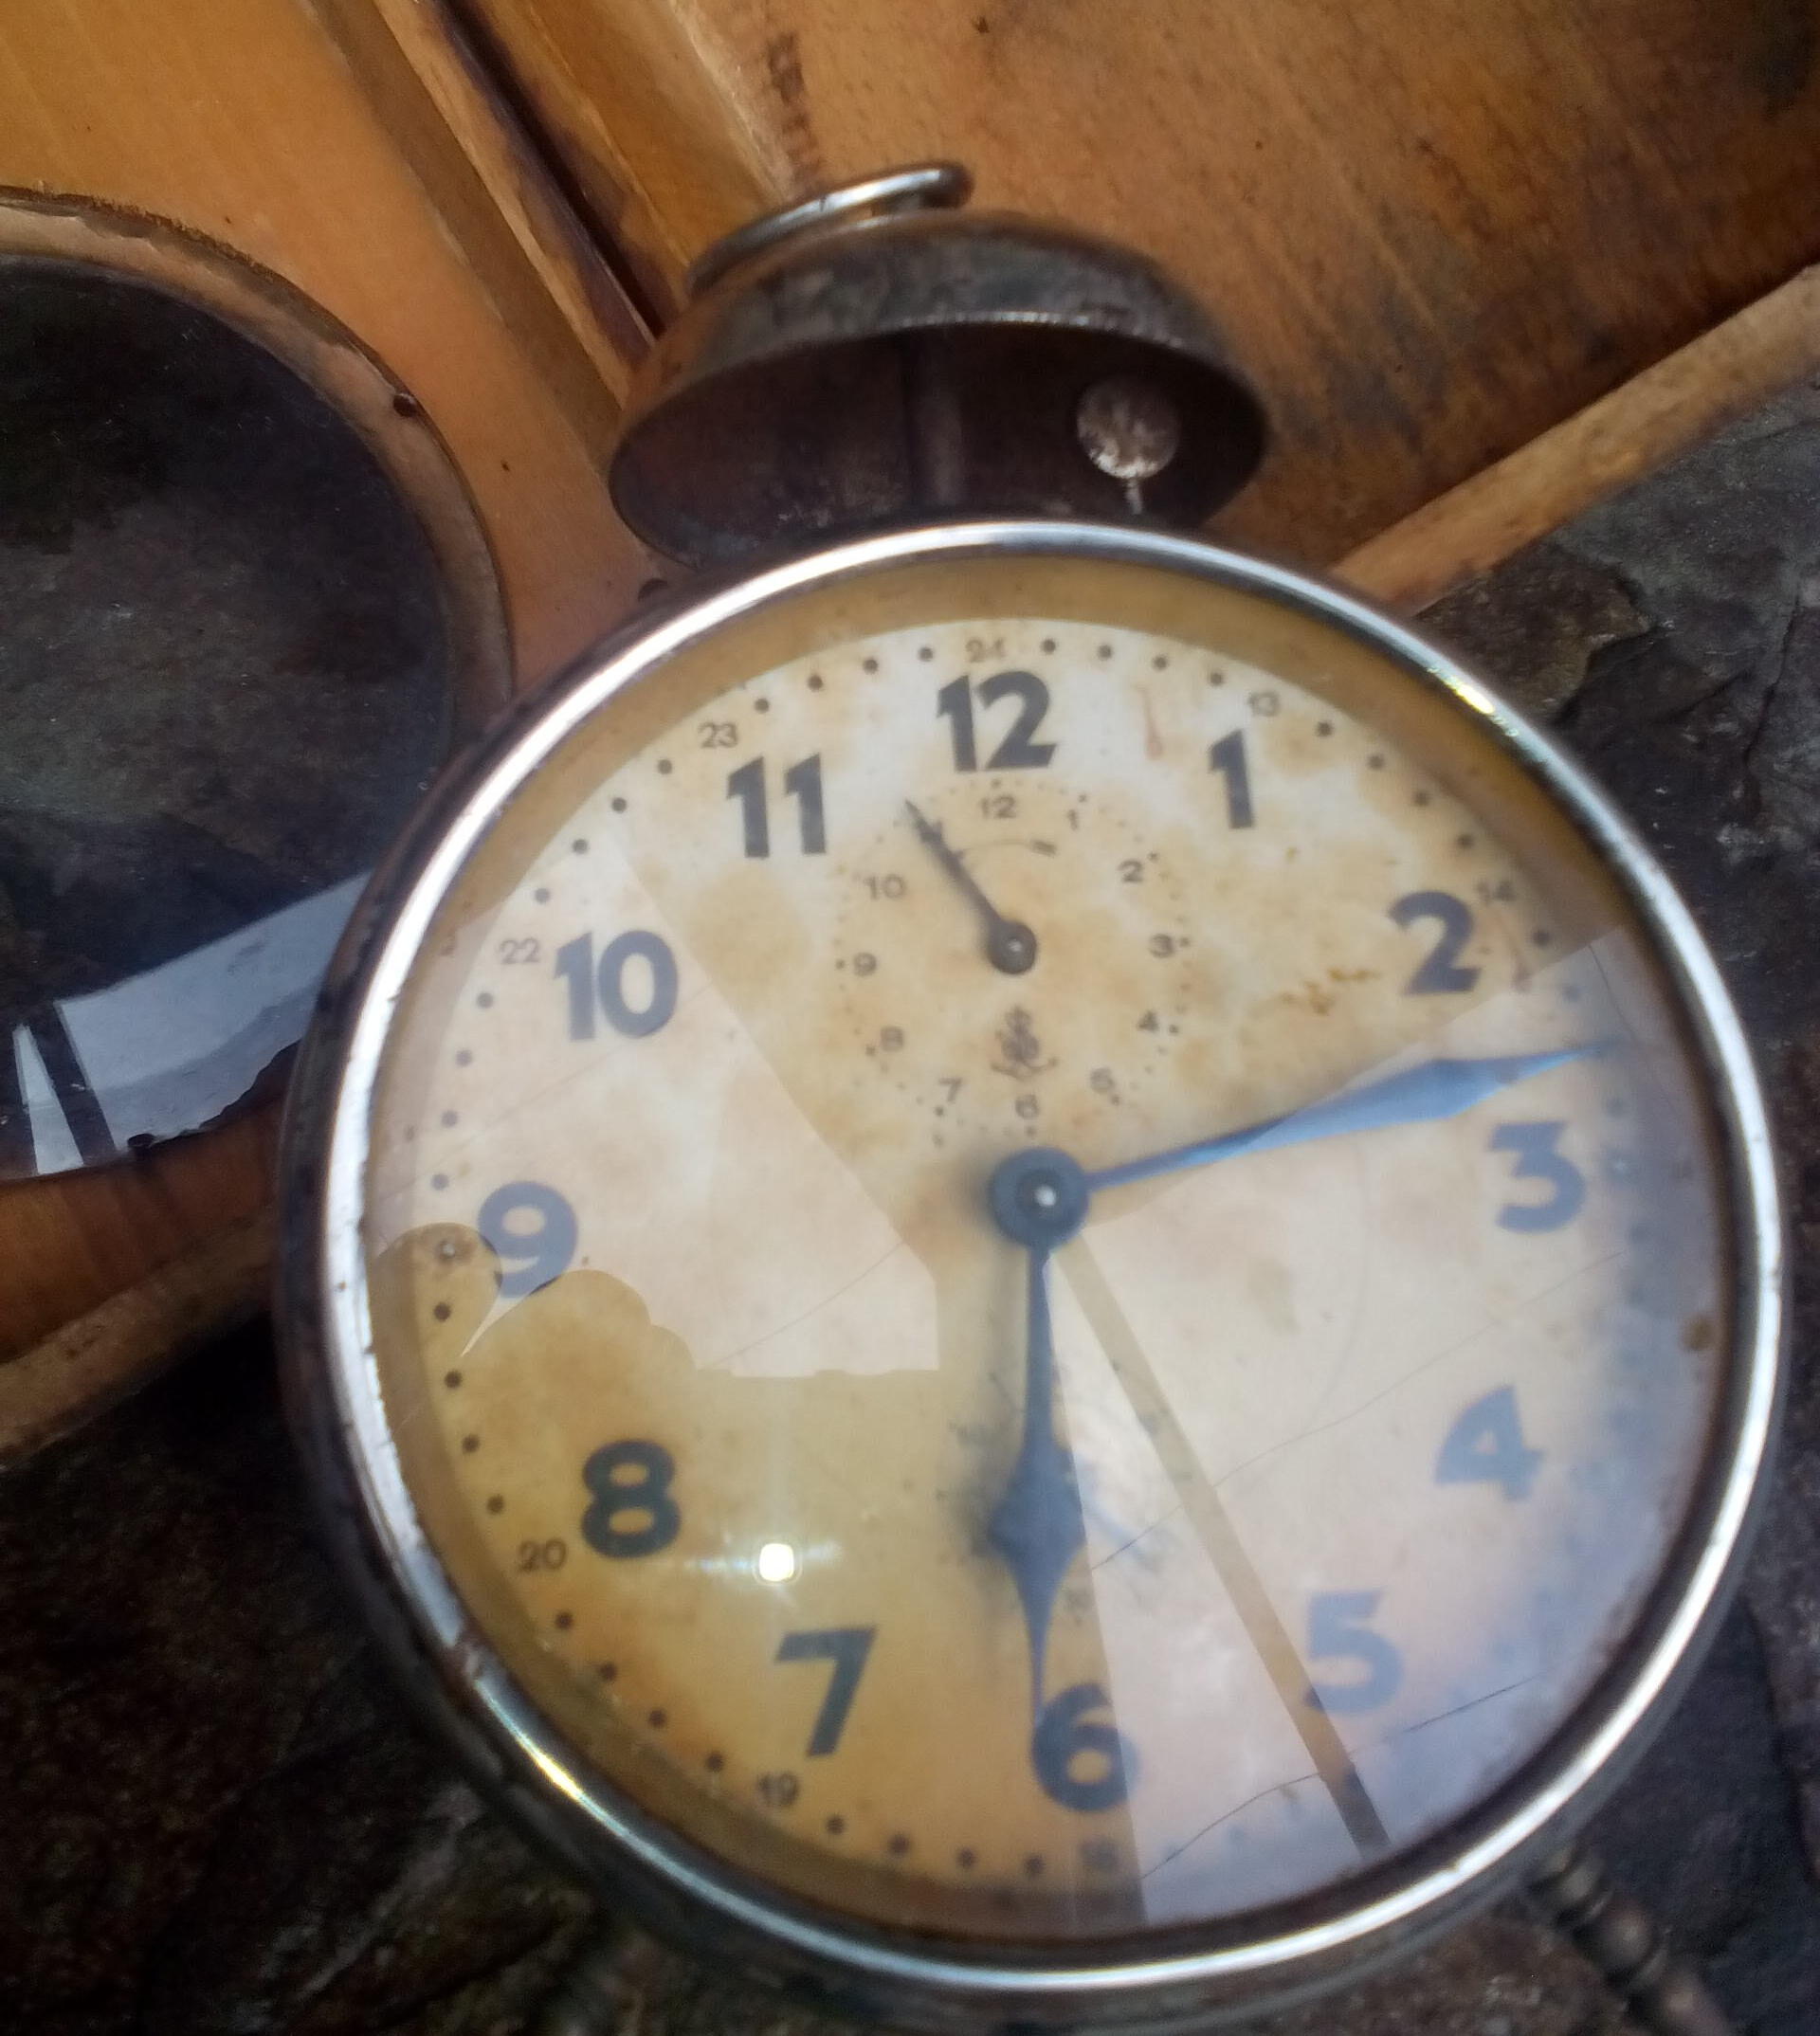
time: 6:12
